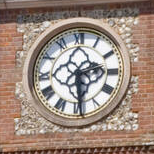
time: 2:29
